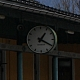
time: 1:19
